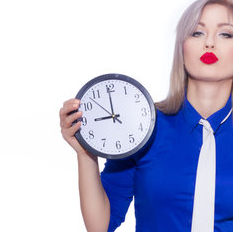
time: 8:59
